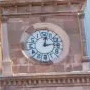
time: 12:13
